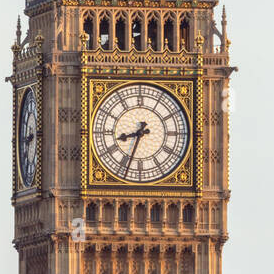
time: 8:33
